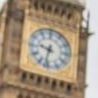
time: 9:32
